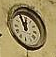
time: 11:55
